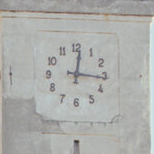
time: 12:16
